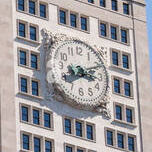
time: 3:10
